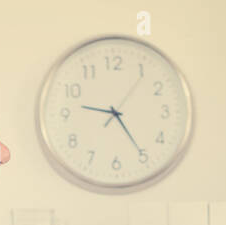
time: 9:24
